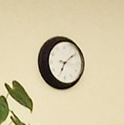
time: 1:34
